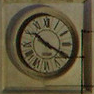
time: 10:19
